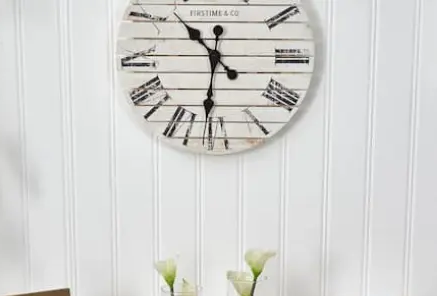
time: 10:31
